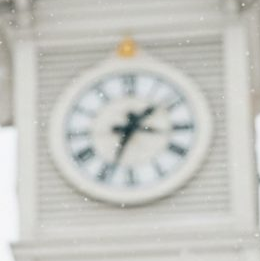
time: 1:34
